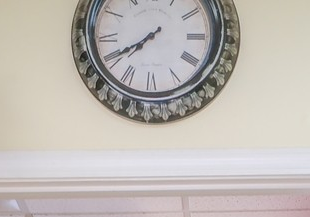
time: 7:40
